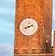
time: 8:11
